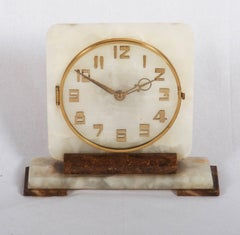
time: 1:50
